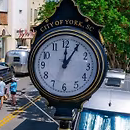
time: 12:05
